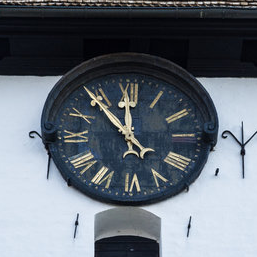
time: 11:53
